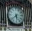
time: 5:38
